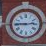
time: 2:45
